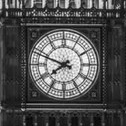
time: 7:48
